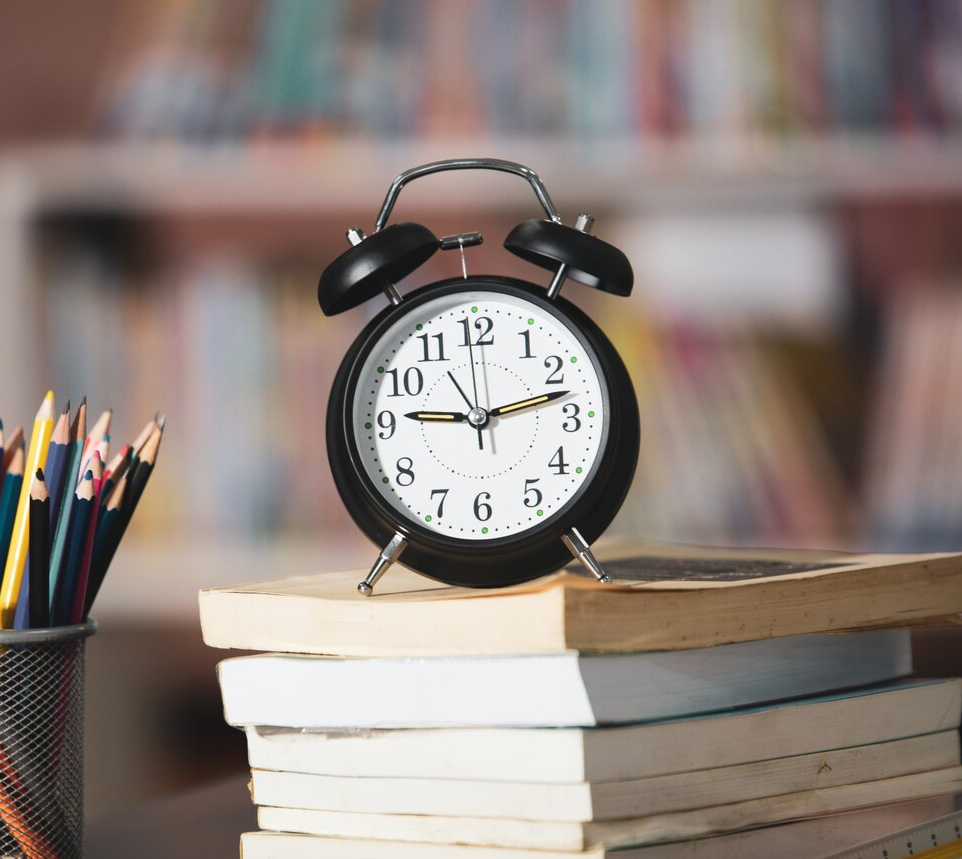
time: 9:12
